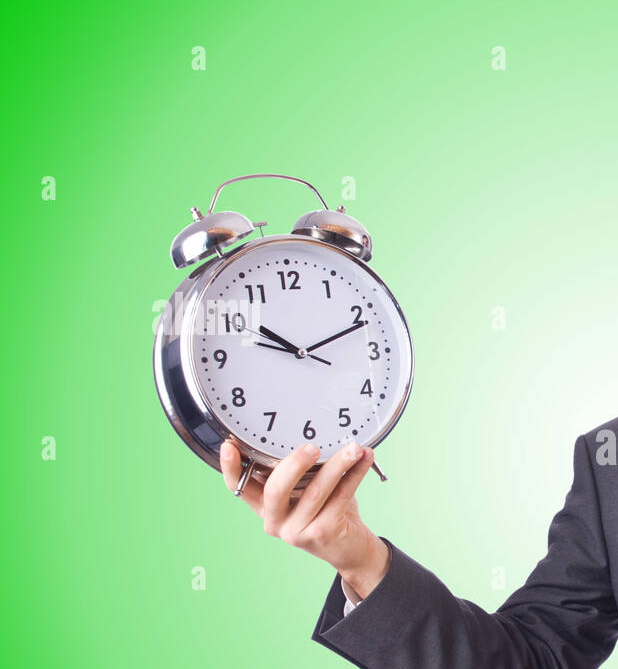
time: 10:11
